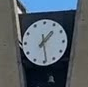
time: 1:28
